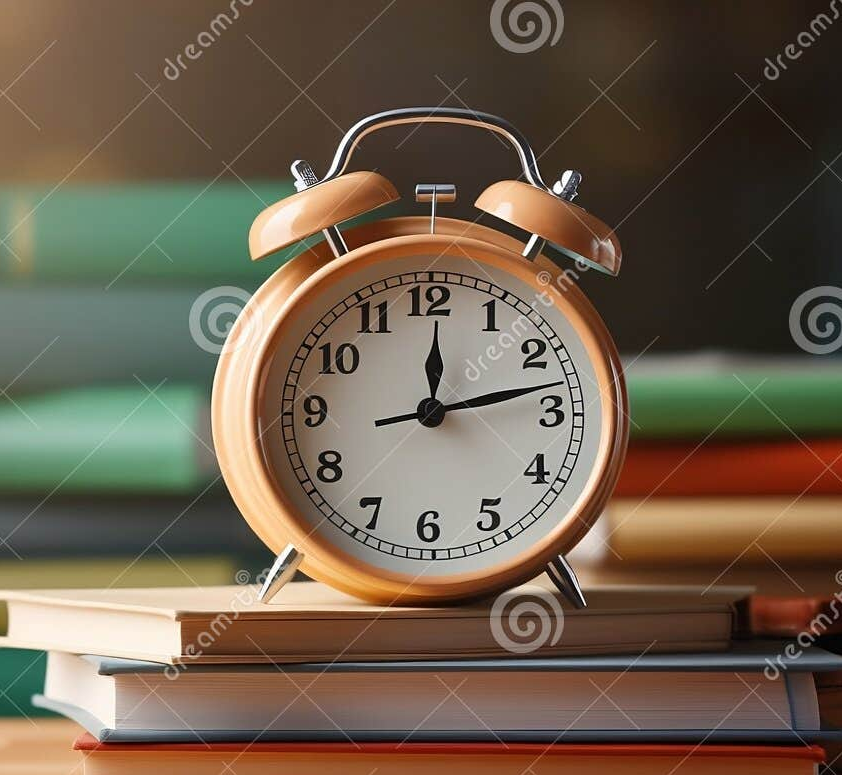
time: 12:12
